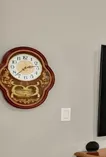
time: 2:37
